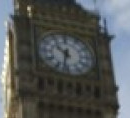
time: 10:32
